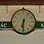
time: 6:30
